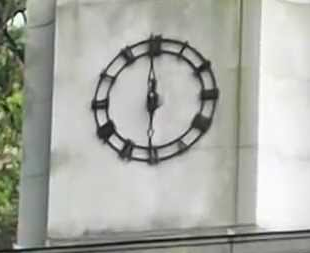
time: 5:59
